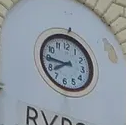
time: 7:44
